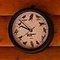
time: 9:51
